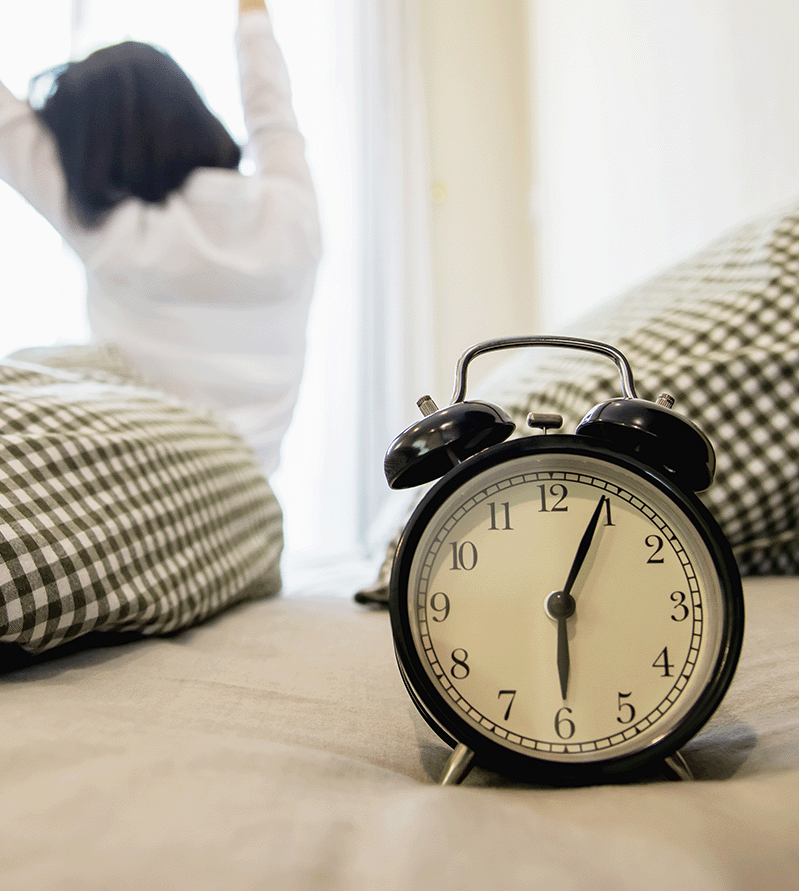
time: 6:04
